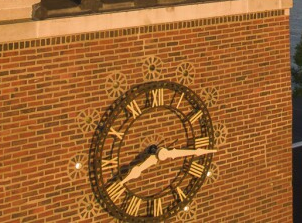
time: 8:16
